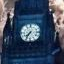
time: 7:35
